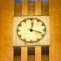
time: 12:18
